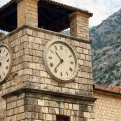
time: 10:36
